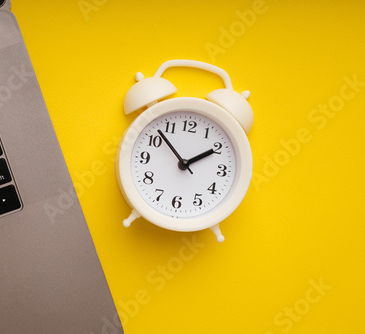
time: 1:52
